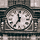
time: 11:35
